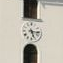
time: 5:15
